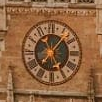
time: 5:06
